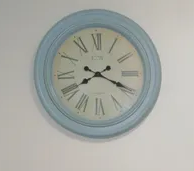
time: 8:19
